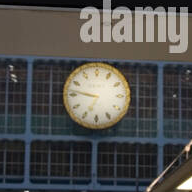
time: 6:46
